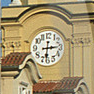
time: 6:14
